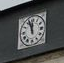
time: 11:56
